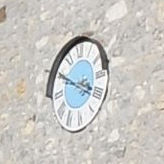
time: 3:49
